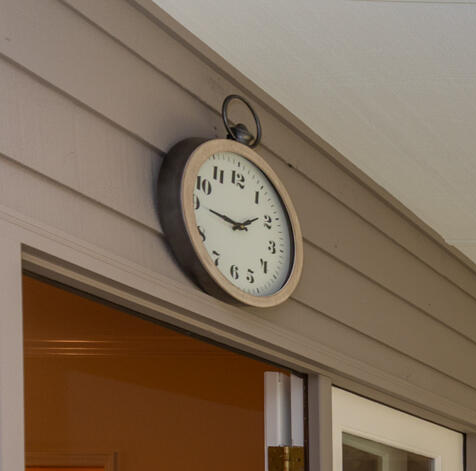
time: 1:45
